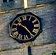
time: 10:24
